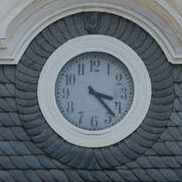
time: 3:22
